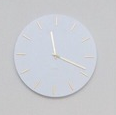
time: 11:18
